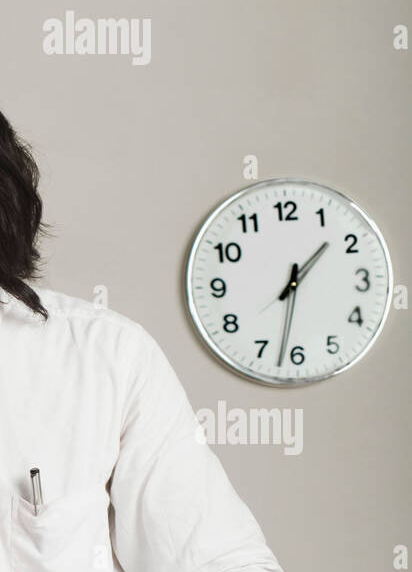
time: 1:32
